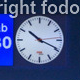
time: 10:19
